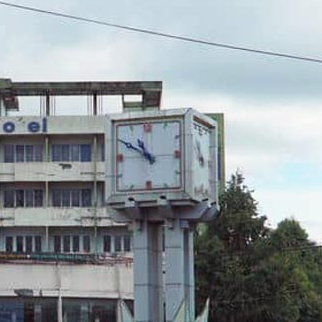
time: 10:50
